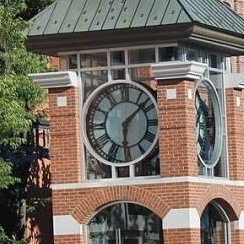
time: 6:08
